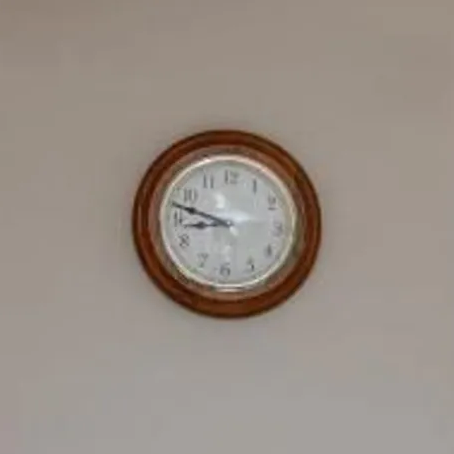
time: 8:47
